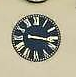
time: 3:16
